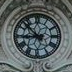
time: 8:52
